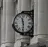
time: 11:29
